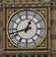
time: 12:42
